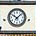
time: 10:07
